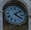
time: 4:07
